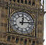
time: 12:13
